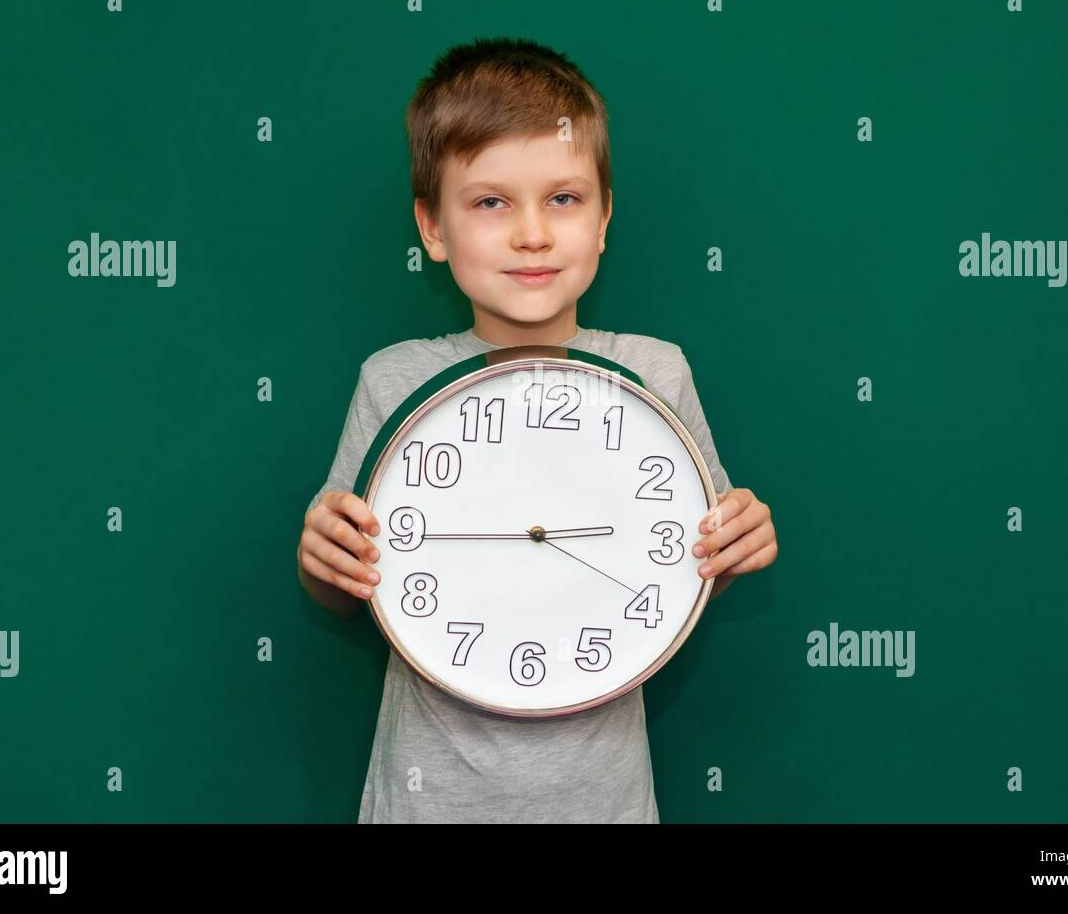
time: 2:44
